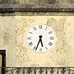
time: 5:33
